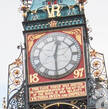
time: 12:29
